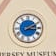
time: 3:10
